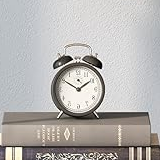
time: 1:50
